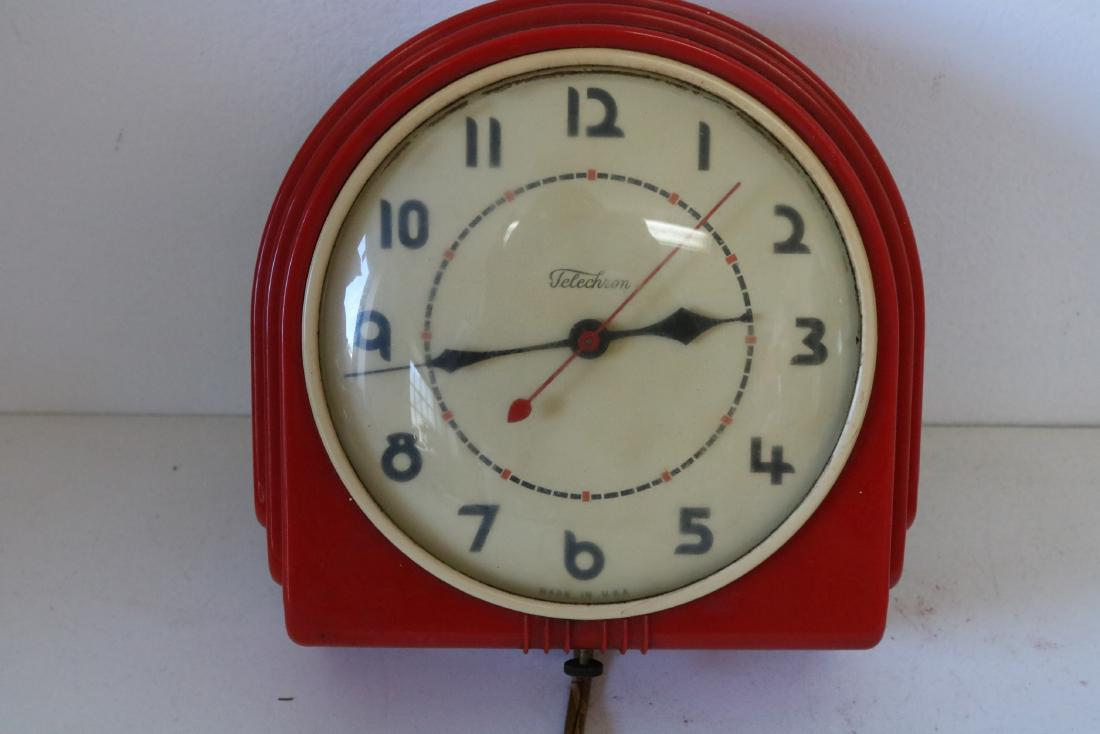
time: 2:43
